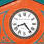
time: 8:23
